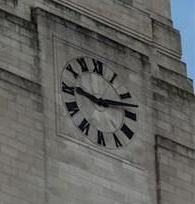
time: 9:13
